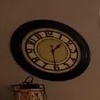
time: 1:30
